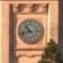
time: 10:42
